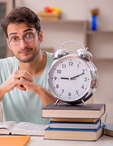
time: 9:11
